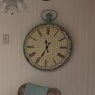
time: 11:34
